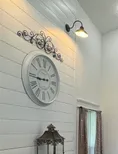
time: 2:44
